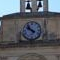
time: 9:52
